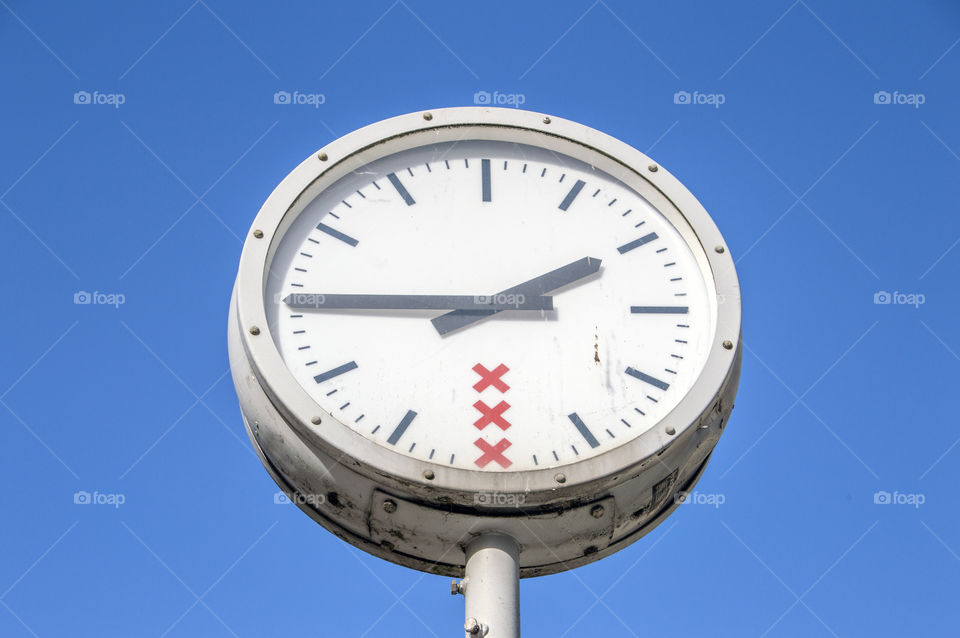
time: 1:45
